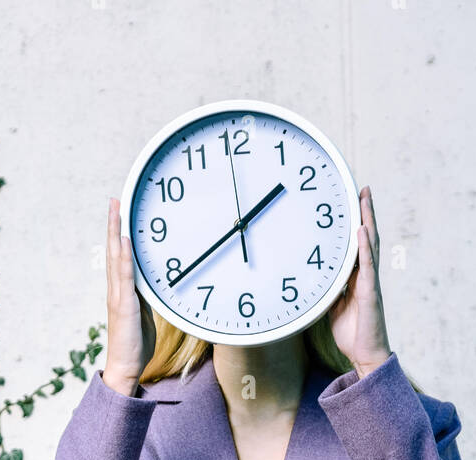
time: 1:39
